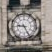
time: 9:25
